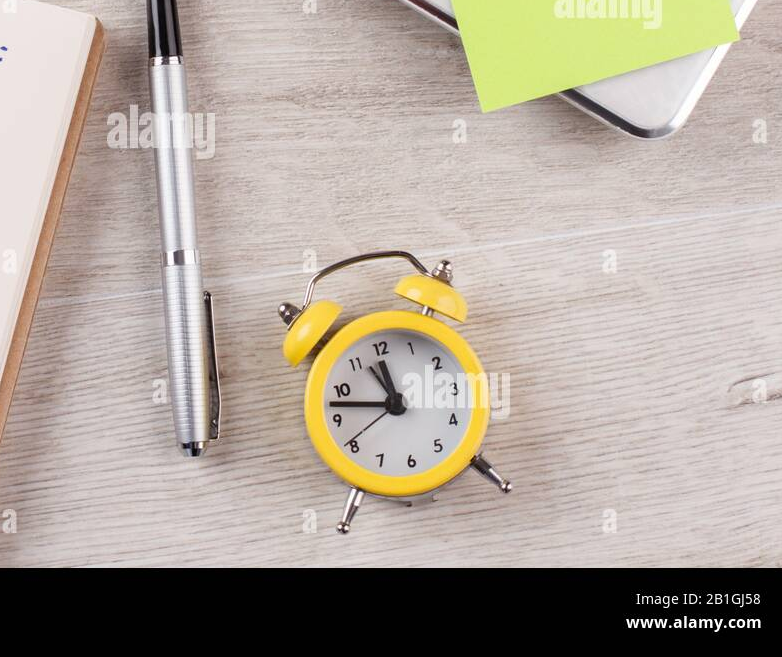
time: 11:47
